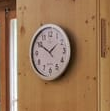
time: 1:50
